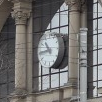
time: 10:44
